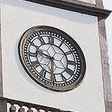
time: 9:30
